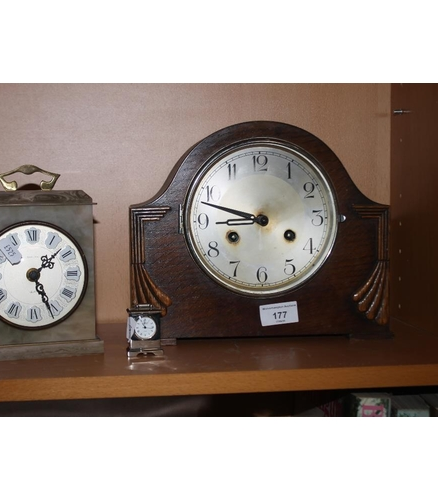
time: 8:48
